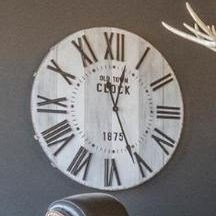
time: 12:26
